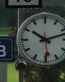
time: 10:12
